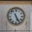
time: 11:25
